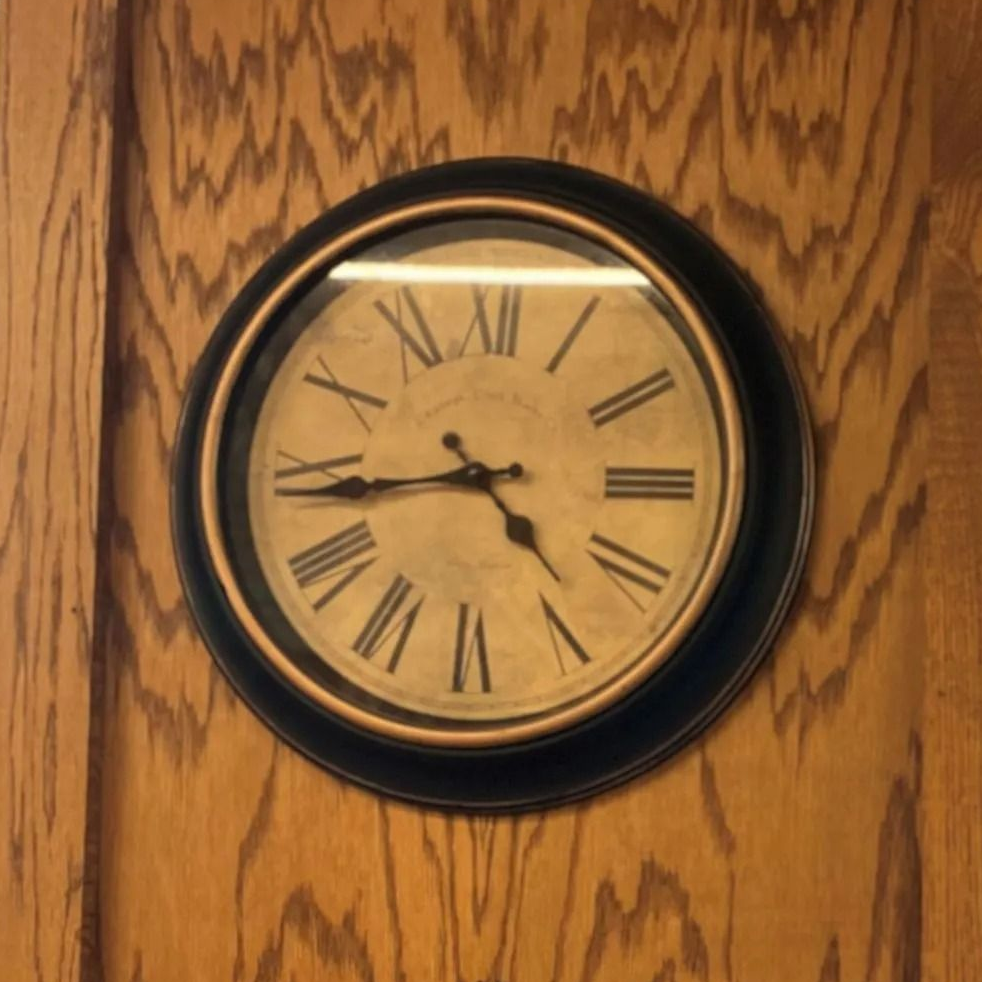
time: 4:43
